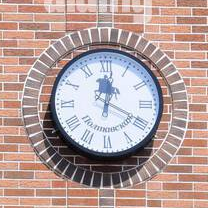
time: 12:01
